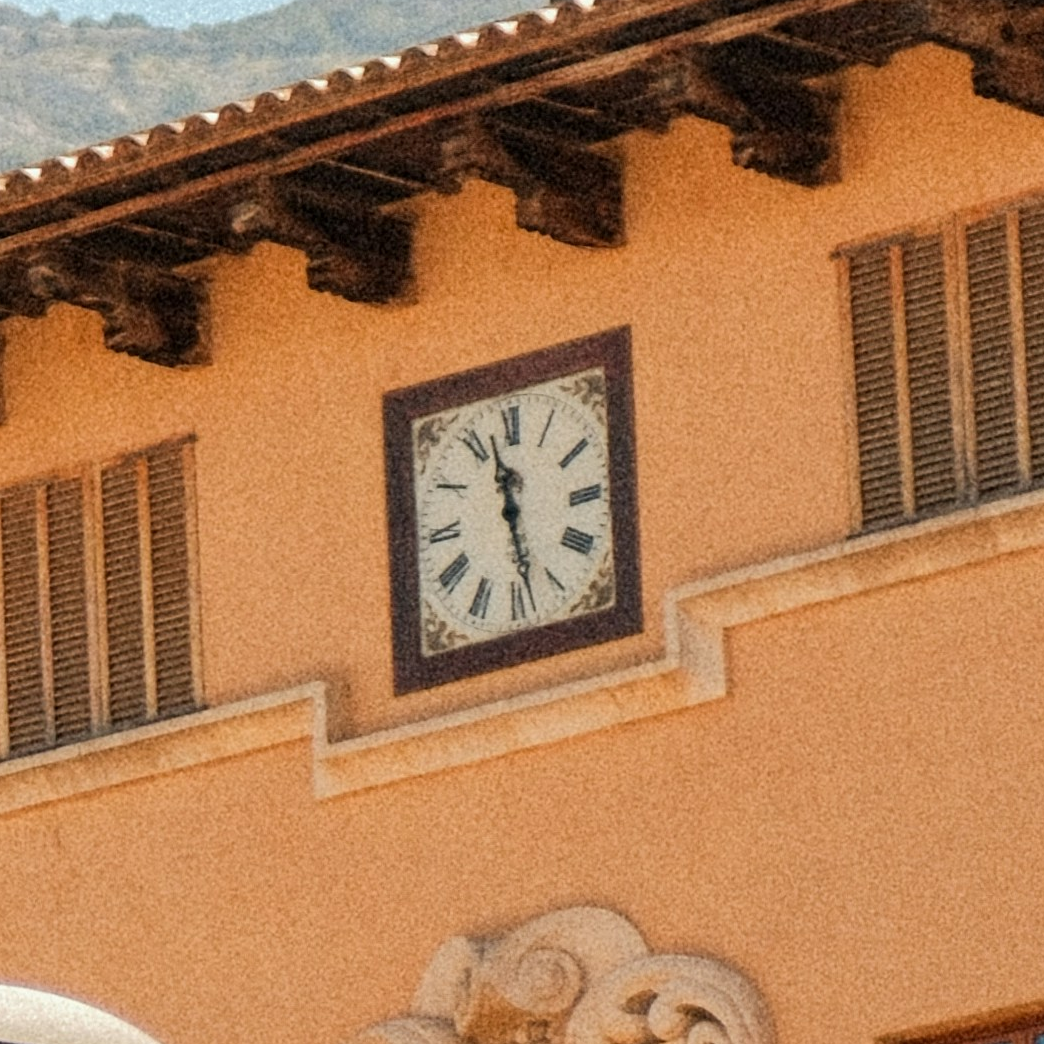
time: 11:28
